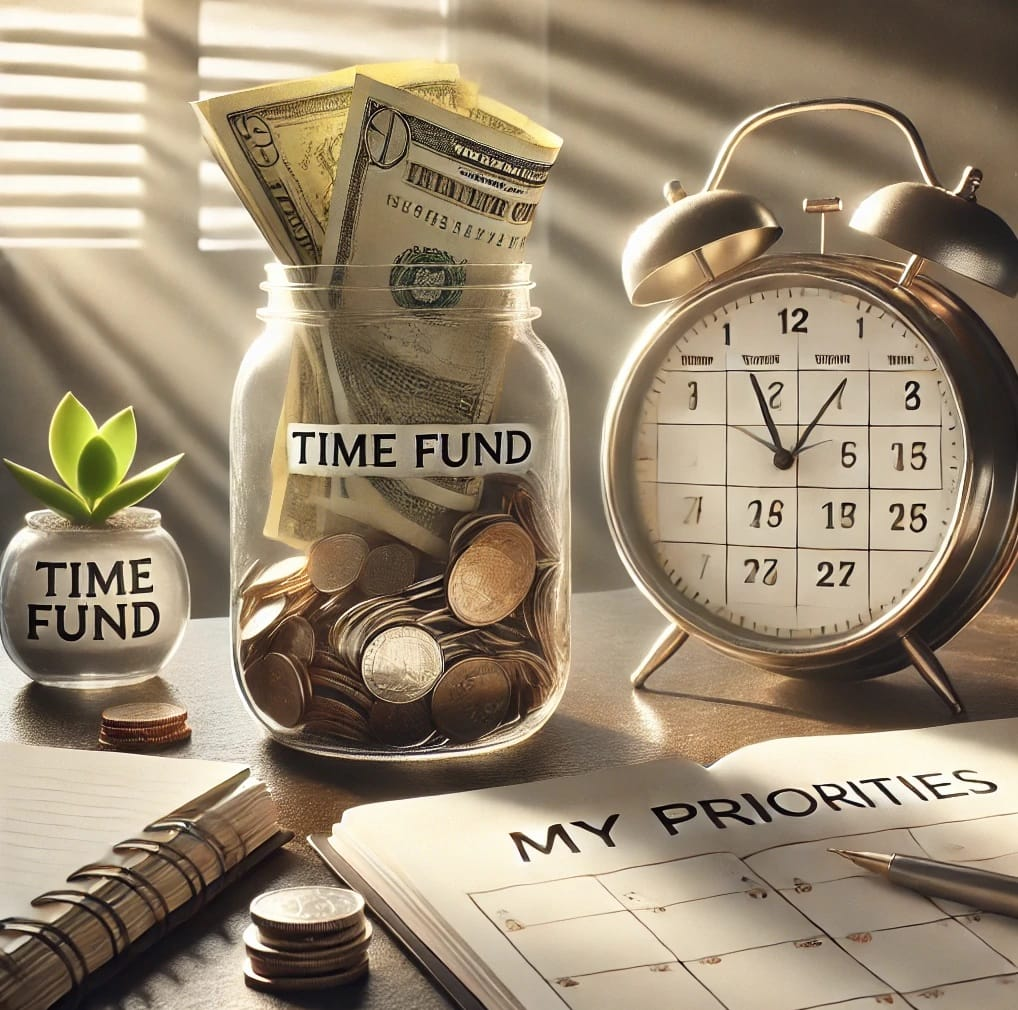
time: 11:06
